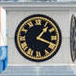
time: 1:18
